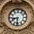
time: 8:31
